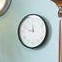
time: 11:48
